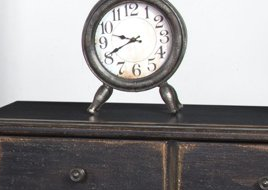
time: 9:40
